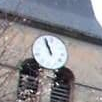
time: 10:56
